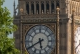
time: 5:40
